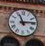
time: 11:13
